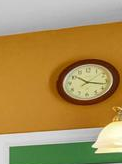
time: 10:16
